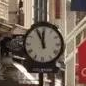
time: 11:55
